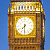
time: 7:30
